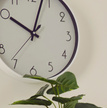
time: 10:03
